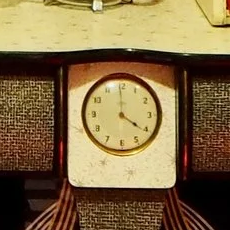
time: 3:59
